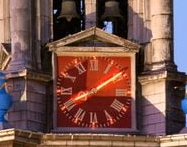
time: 8:09
